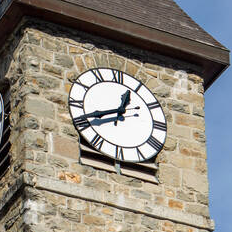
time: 12:40
